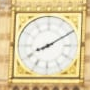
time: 8:09
